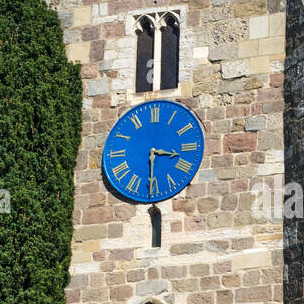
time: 3:29
